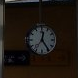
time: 12:24
